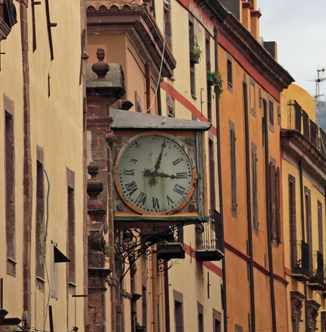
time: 3:03
